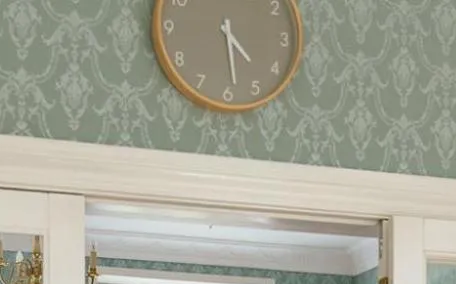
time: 4:28
